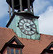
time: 4:10
